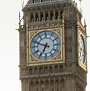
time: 6:48
